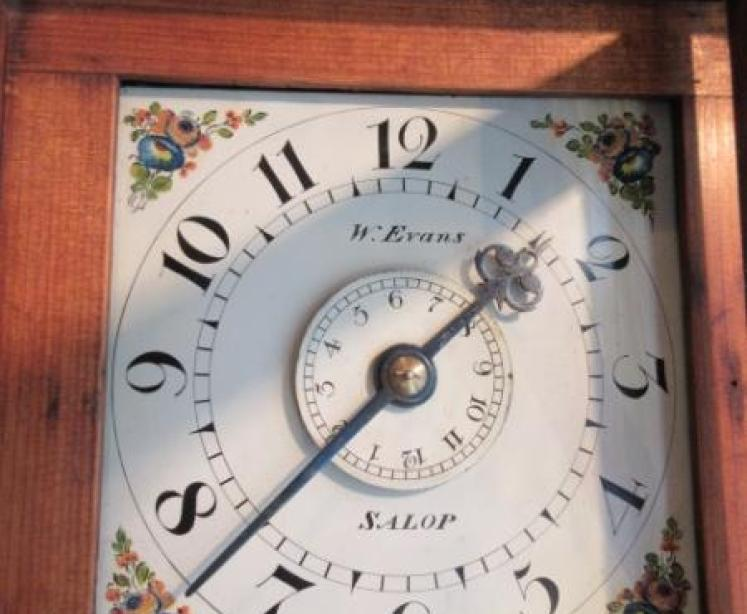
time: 1:37
